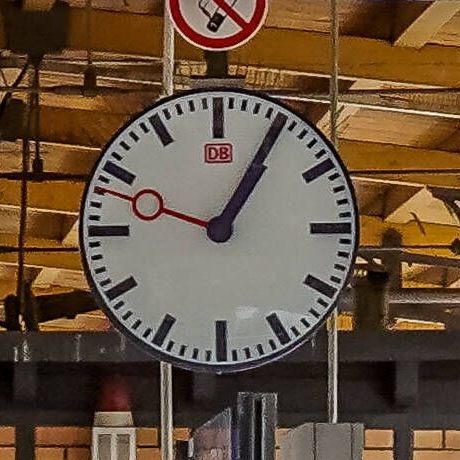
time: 1:05
